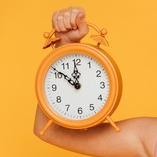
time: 11:51
